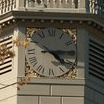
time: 4:14
